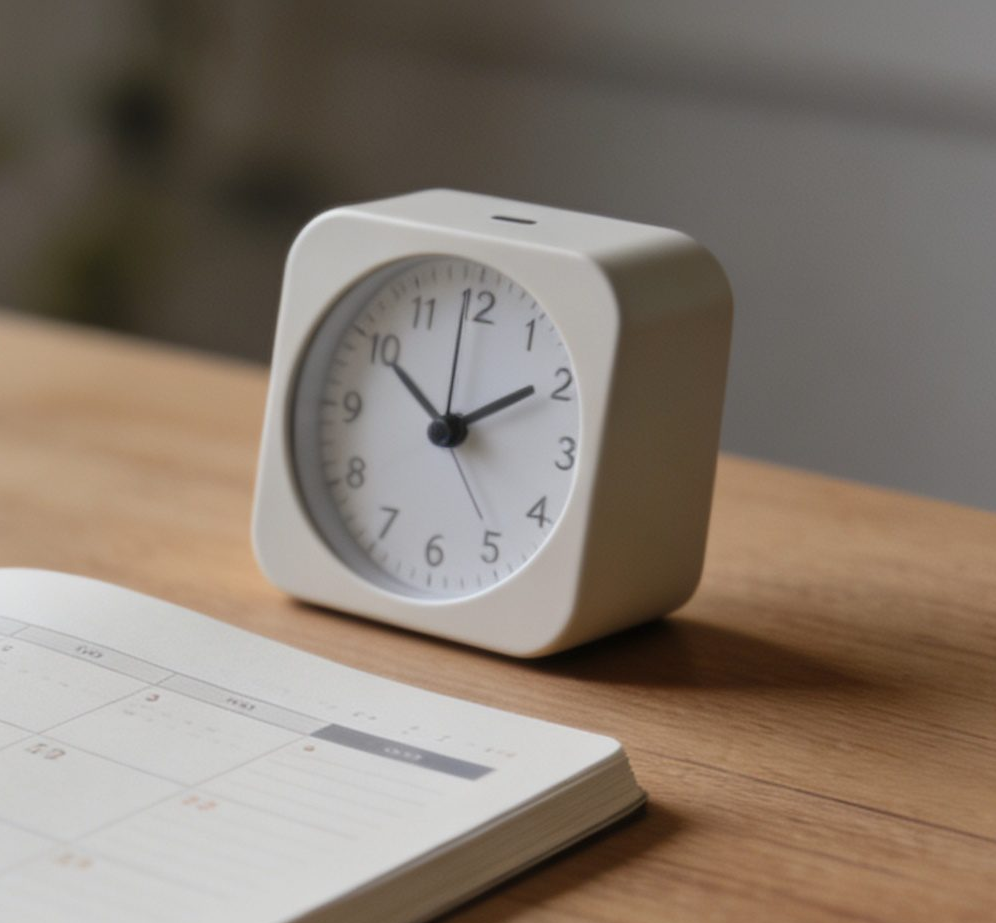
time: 1:50
